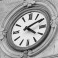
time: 4:09
